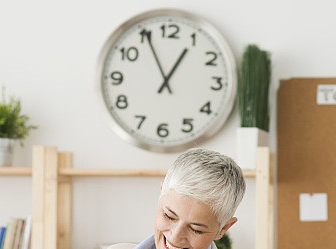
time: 12:55
